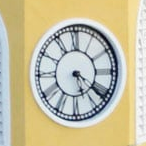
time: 5:21
